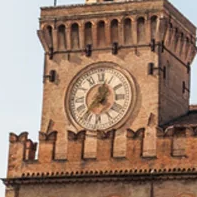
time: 12:37
